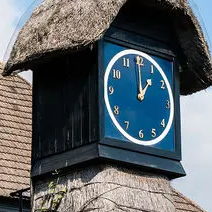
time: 1:00
